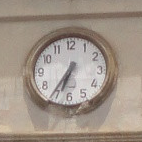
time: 6:35
